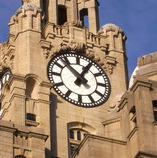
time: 12:52
